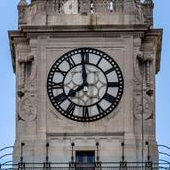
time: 7:58
